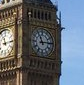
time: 11:14
